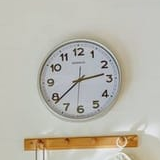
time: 2:38
